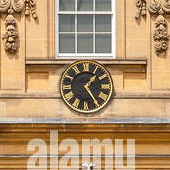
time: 1:24
